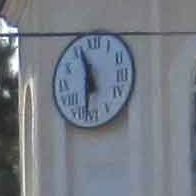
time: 11:31
